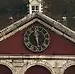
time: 11:28
